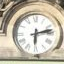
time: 6:12
